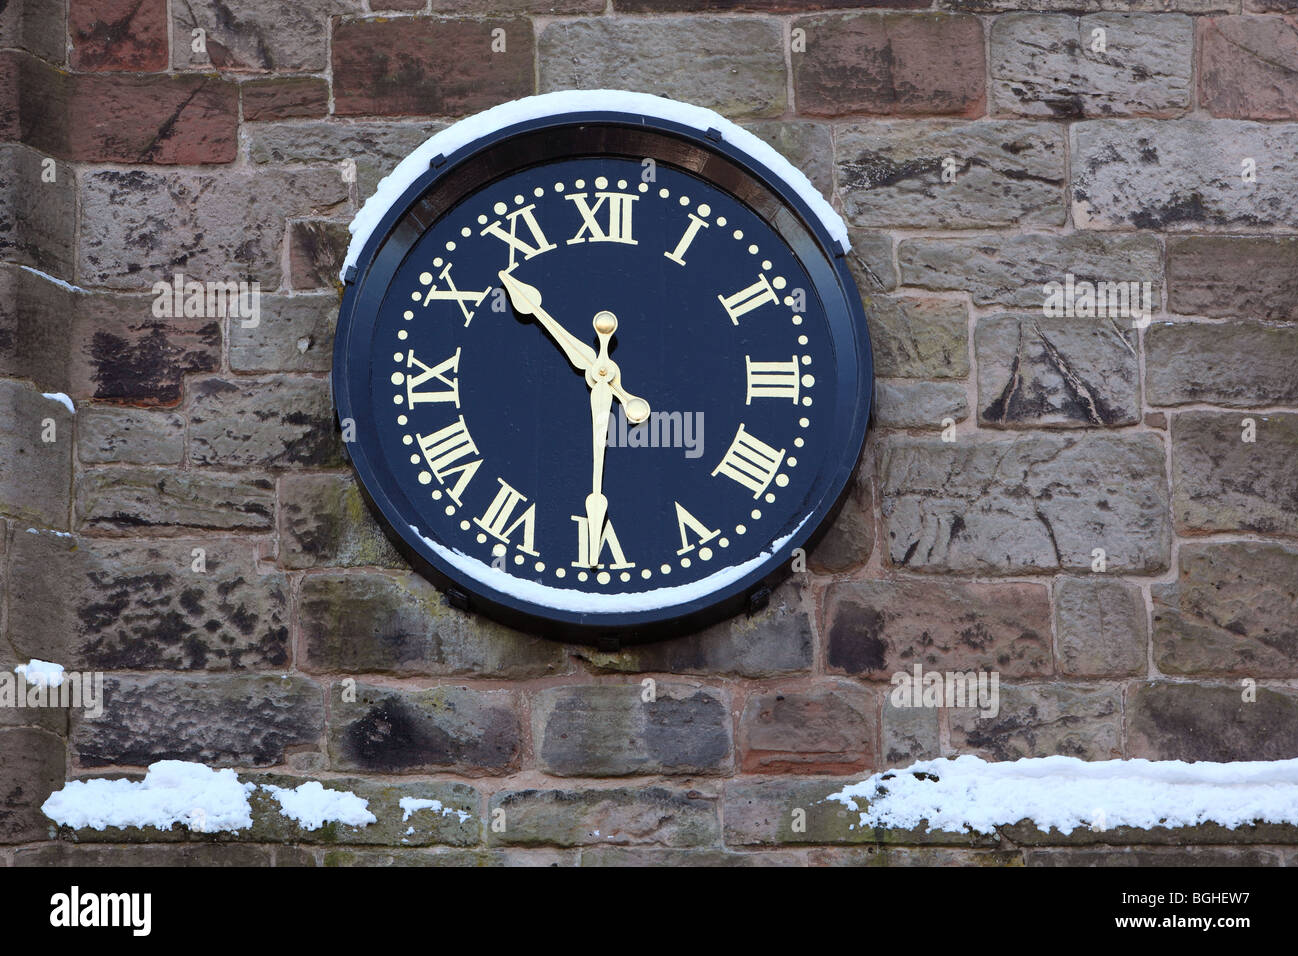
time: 10:30
